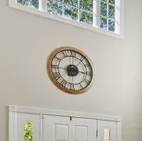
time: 7:15
